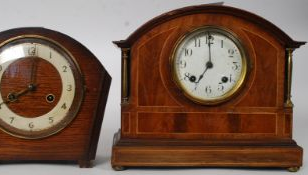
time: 7:00
